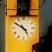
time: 4:50
